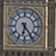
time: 6:24
